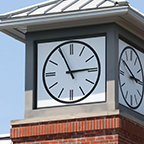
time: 2:55
